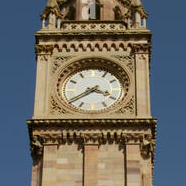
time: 3:39
